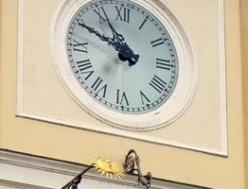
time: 10:49
